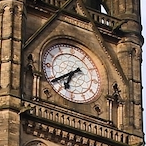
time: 6:39
